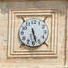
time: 5:27
